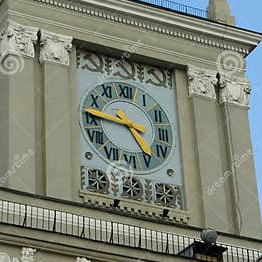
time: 4:45
